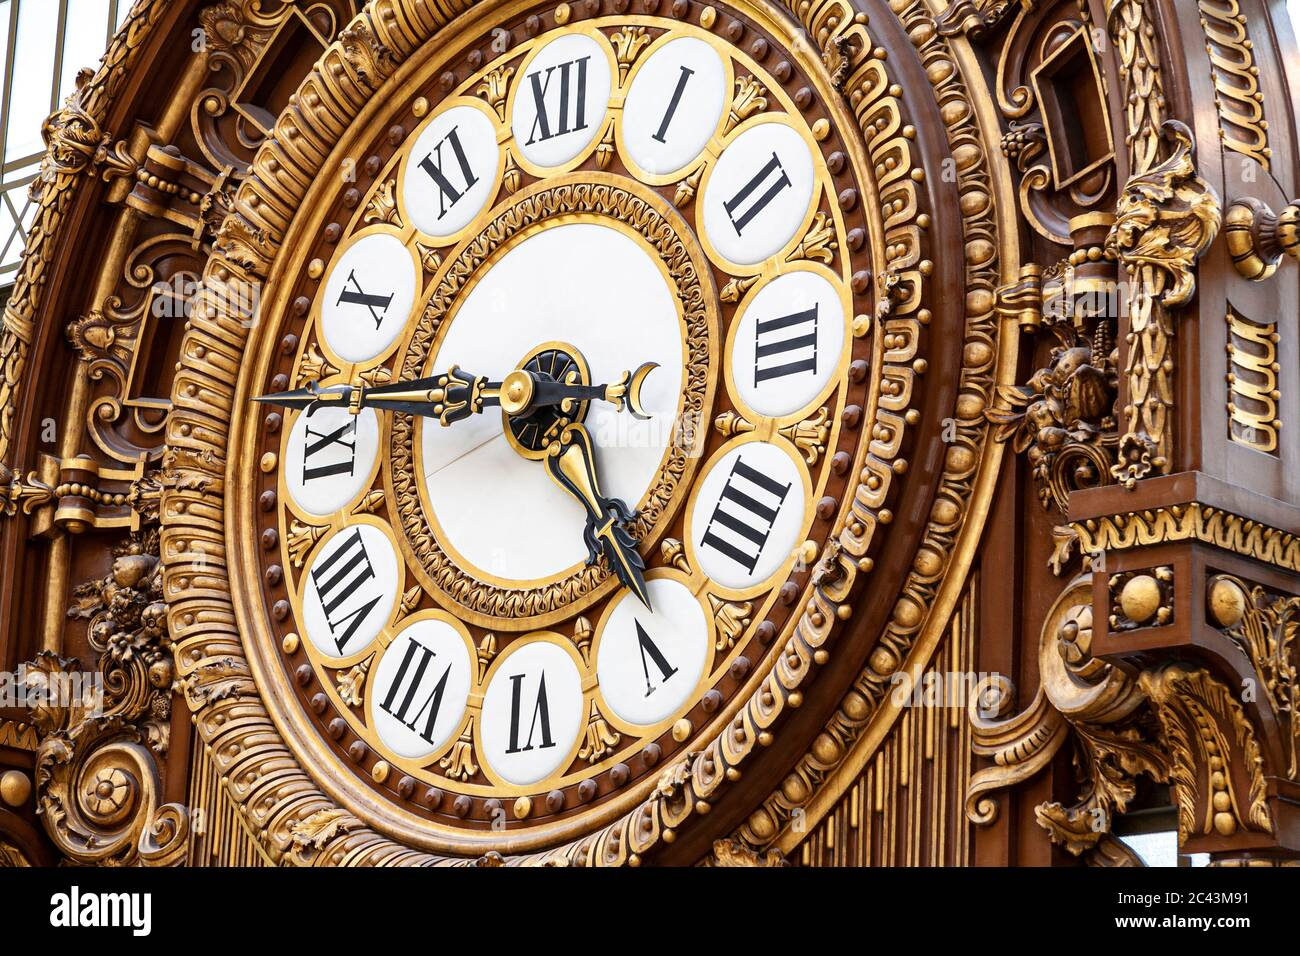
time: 4:46
